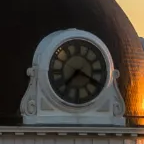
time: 7:19
